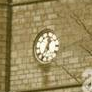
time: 12:36
